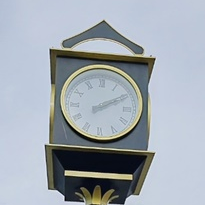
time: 2:09
